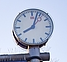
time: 8:03
